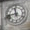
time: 11:42
